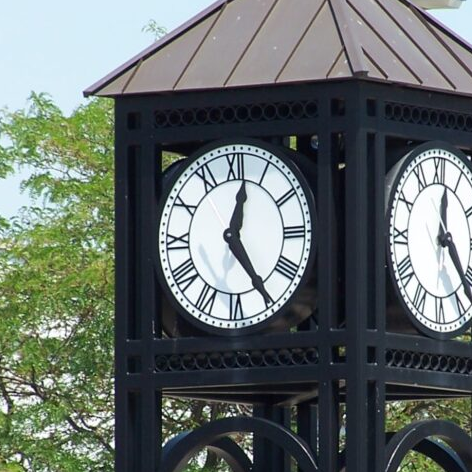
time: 12:24
